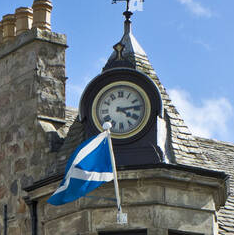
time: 4:13
